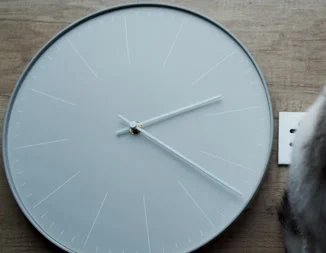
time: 2:20
